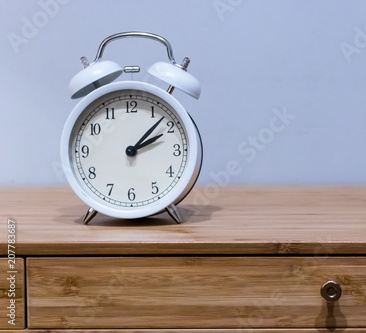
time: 2:07
